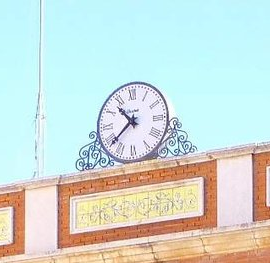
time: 10:38
